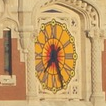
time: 7:25
